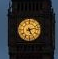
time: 5:12
